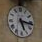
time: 5:16
